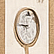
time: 8:45
